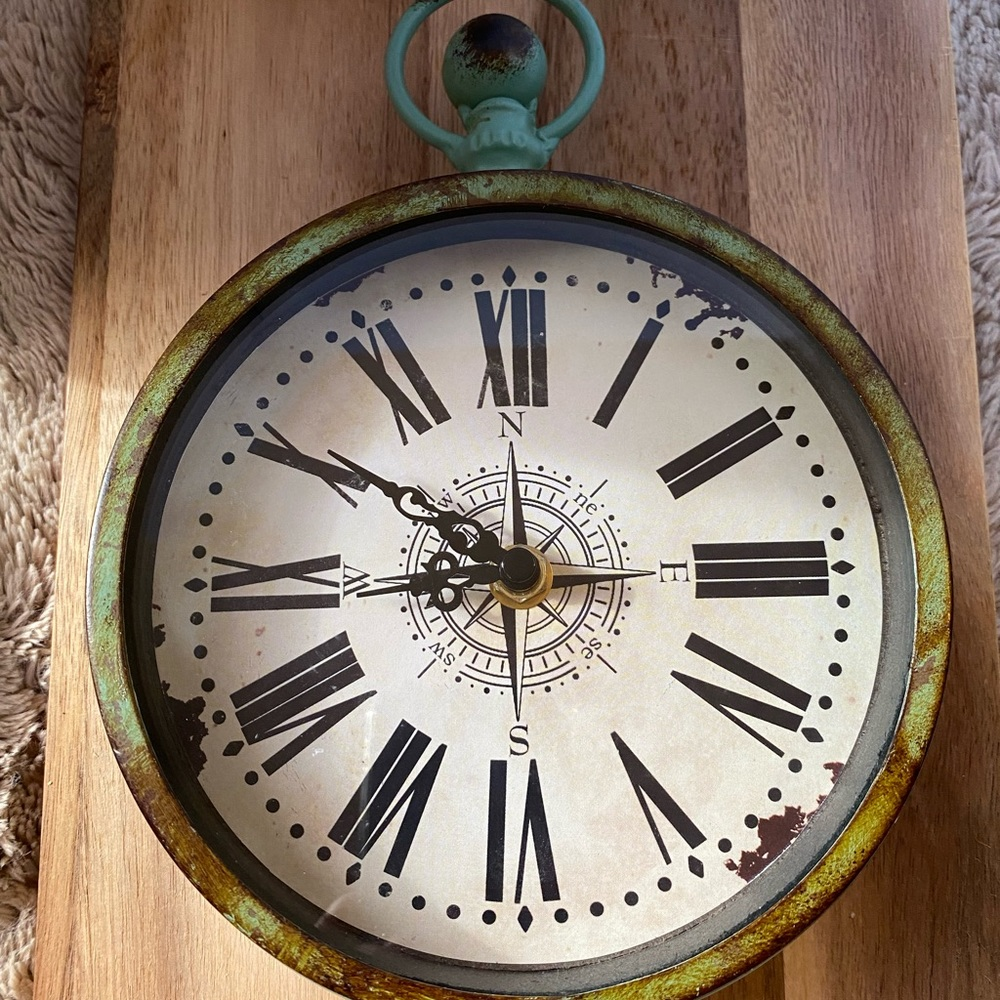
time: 8:50
